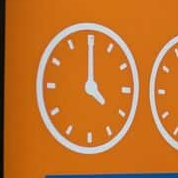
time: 4:00
